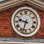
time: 9:33
